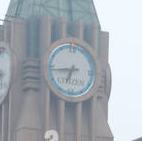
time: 6:43
